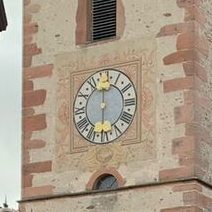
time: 5:59
